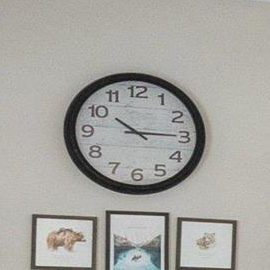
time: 10:14
